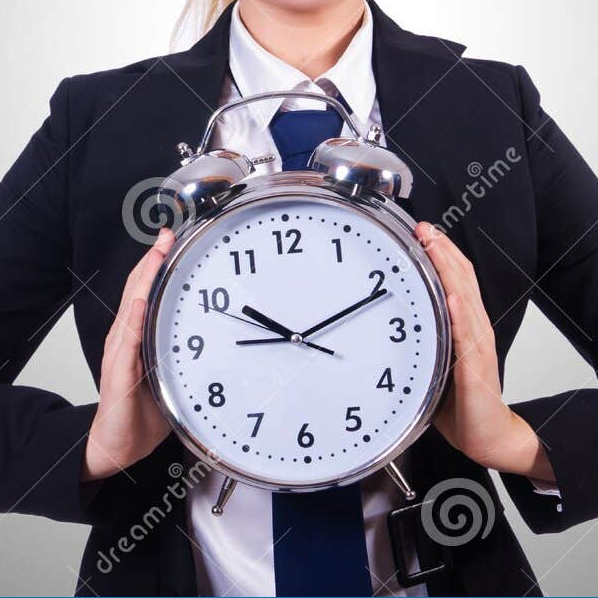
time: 10:11
